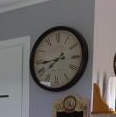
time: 7:43
